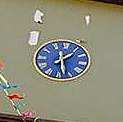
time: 1:27
